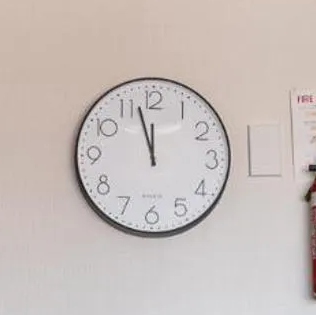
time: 11:57
